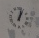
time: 1:02
